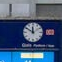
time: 11:50
